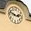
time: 2:48
